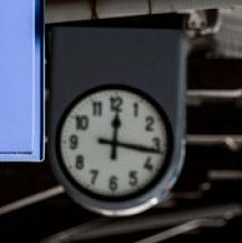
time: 12:16
